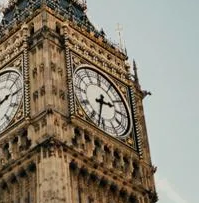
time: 2:32
